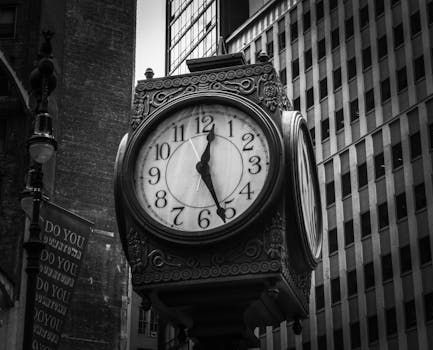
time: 12:26
